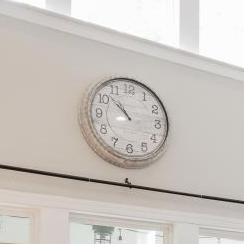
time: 10:52
